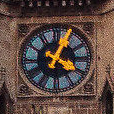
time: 4:04
